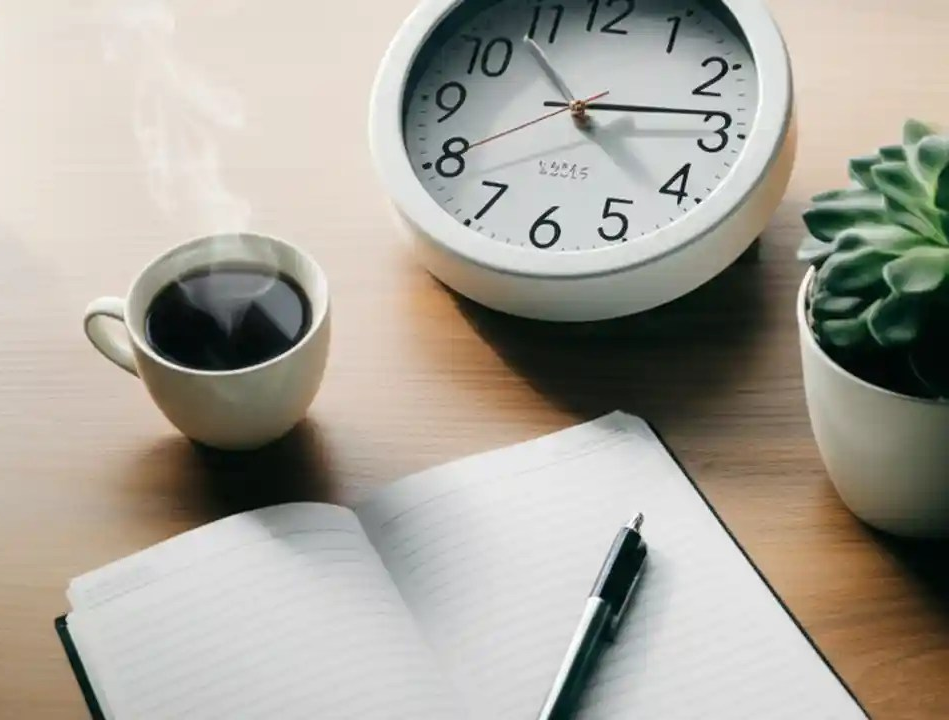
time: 4:13
